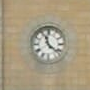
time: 11:21
